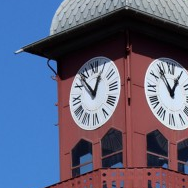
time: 12:53
